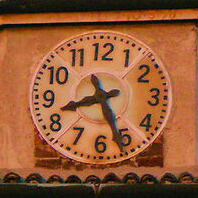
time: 8:26
